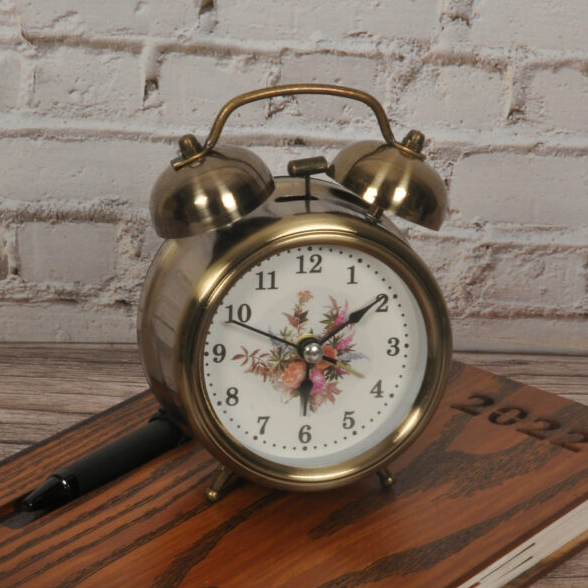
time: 6:09
